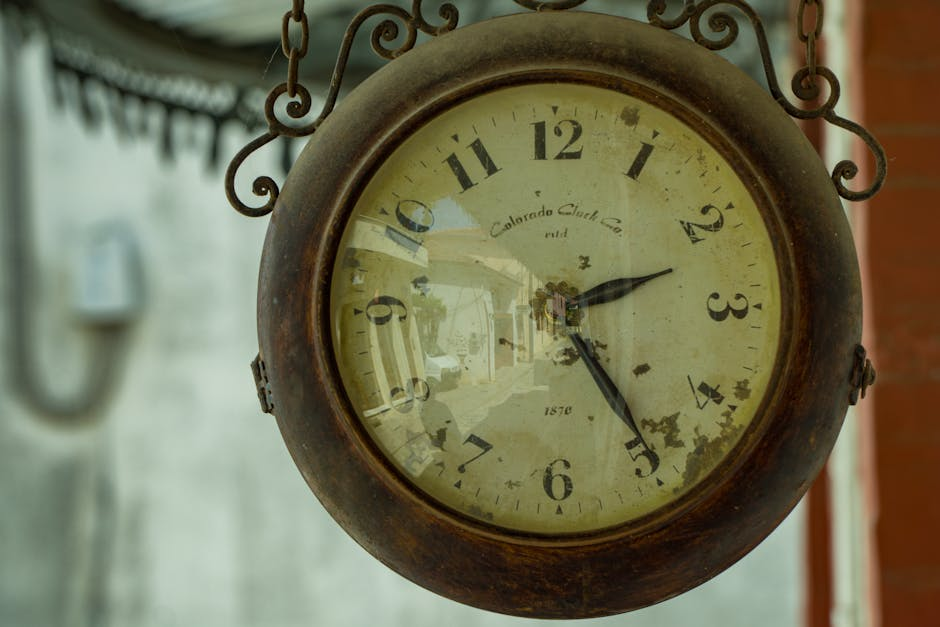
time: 2:24
